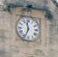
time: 11:33
